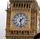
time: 1:28
